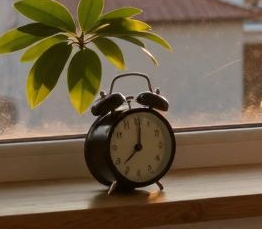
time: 7:01
